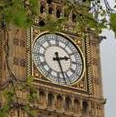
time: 2:27
